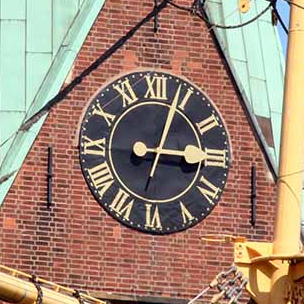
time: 3:03
